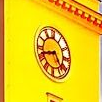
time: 4:42
